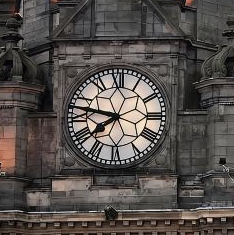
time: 7:47
